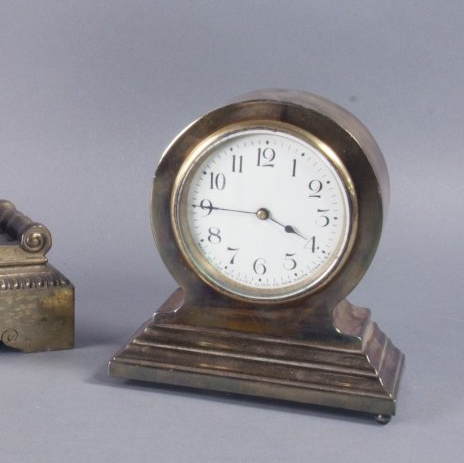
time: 3:45
